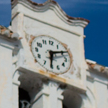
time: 6:10
